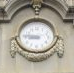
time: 8:46
